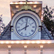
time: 8:01
